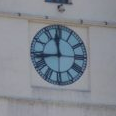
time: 11:43
